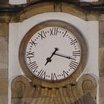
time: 7:17
